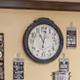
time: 11:01
